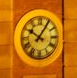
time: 10:05
